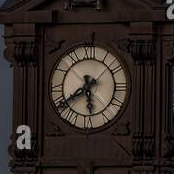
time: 5:39
